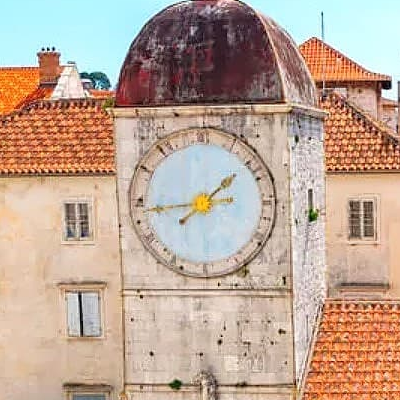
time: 1:43
